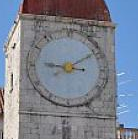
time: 9:10
